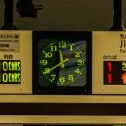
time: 11:39
